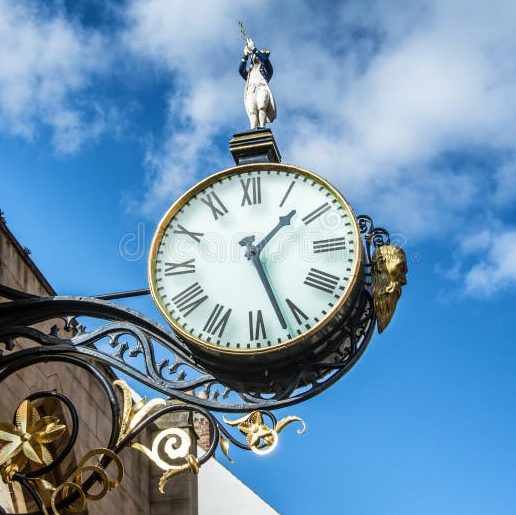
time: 1:26
